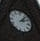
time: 2:06
